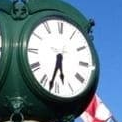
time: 5:32
